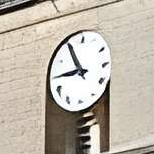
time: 8:54
